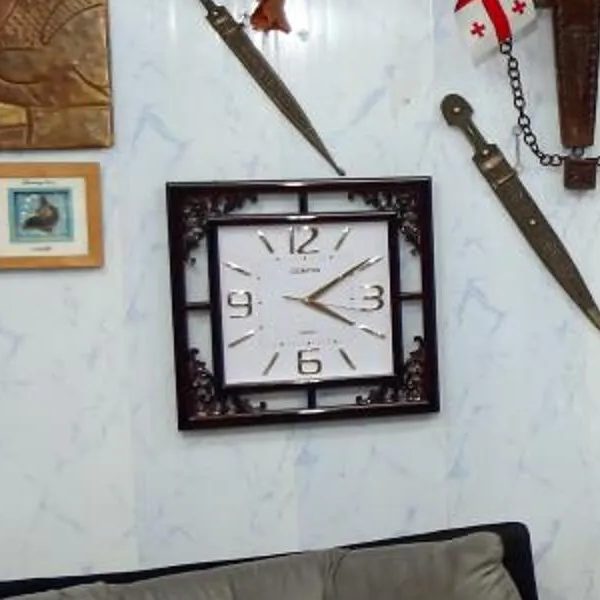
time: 4:09
